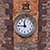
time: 11:45
